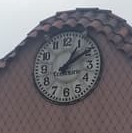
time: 1:09
